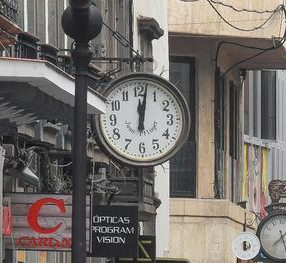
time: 12:01
